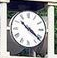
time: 10:21
